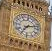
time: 7:12
